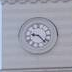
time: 9:22
